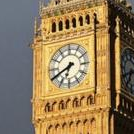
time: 6:40
